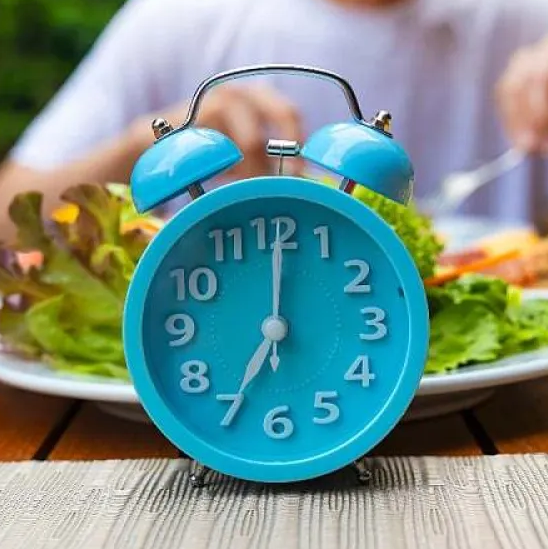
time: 7:00
